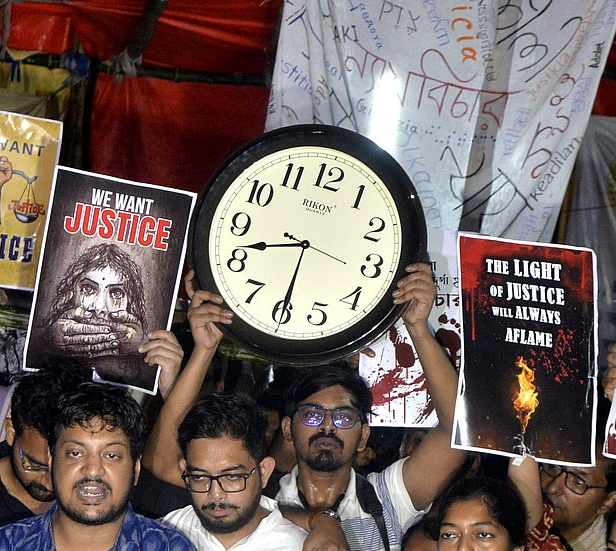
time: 8:29
